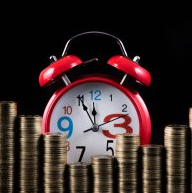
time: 11:55
